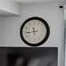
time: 11:44
